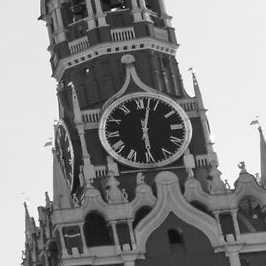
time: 6:02
